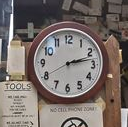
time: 2:12
